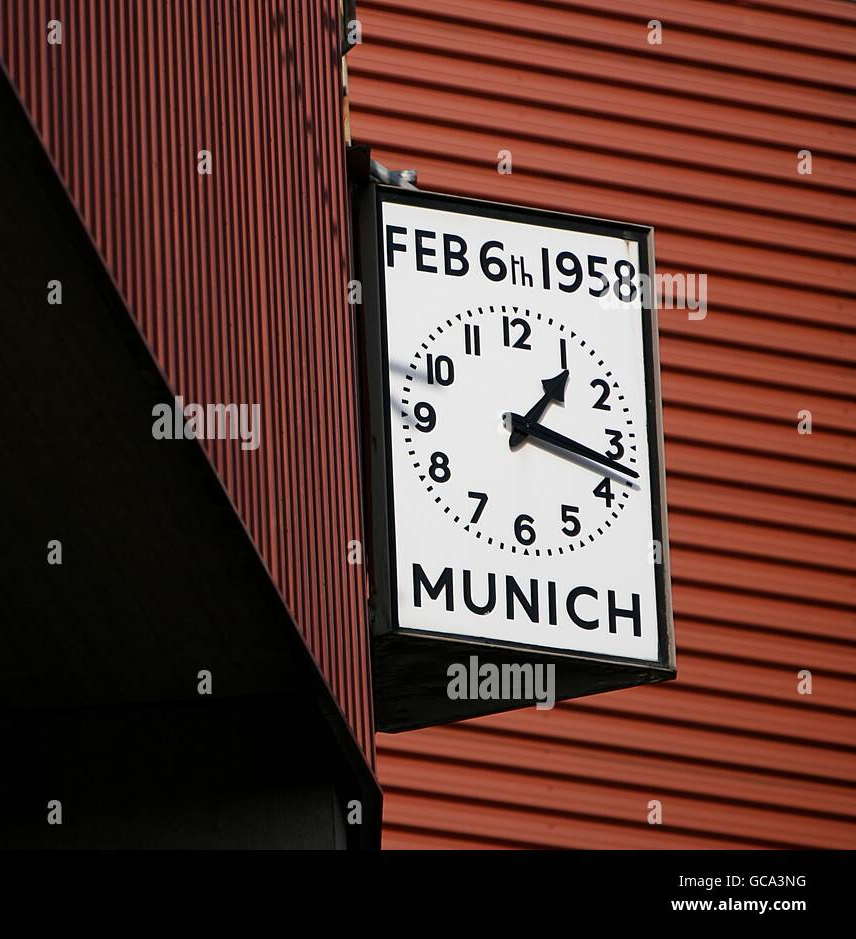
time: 1:16
